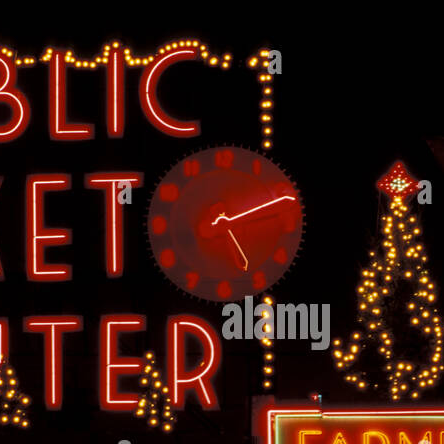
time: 5:11
